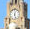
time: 12:27
